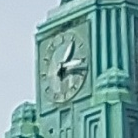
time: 1:16
